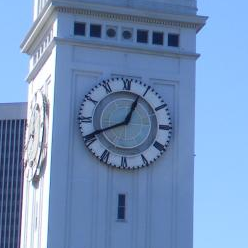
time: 12:41
